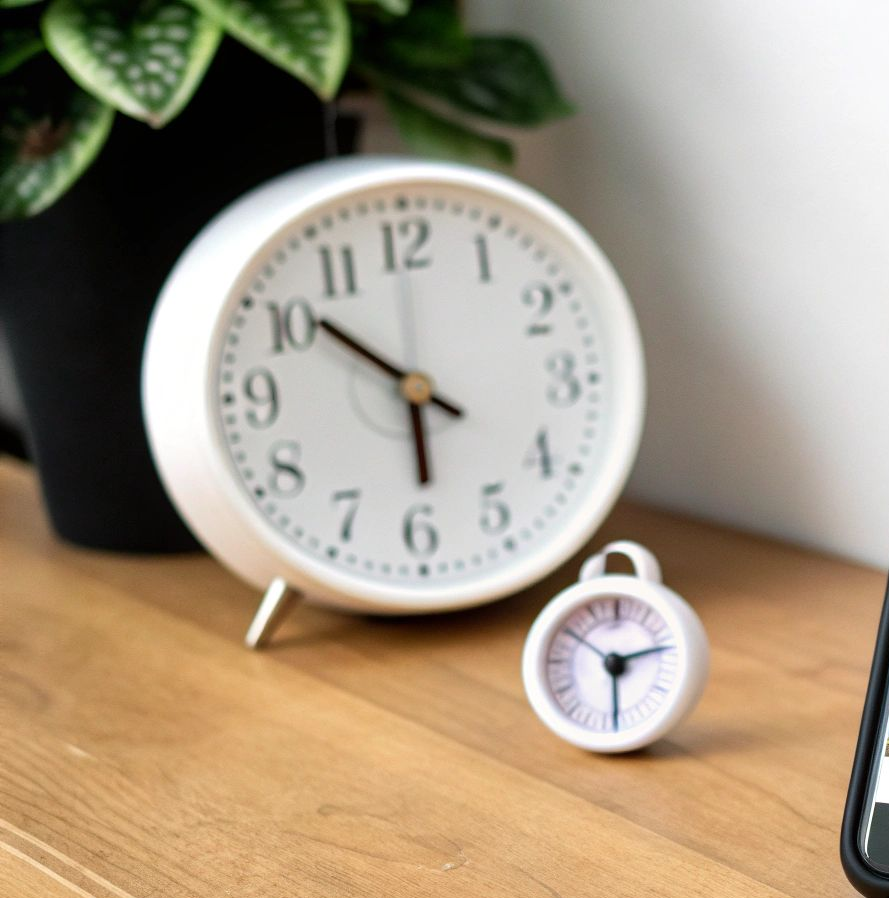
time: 5:51
